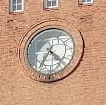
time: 4:35
